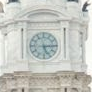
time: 5:14
